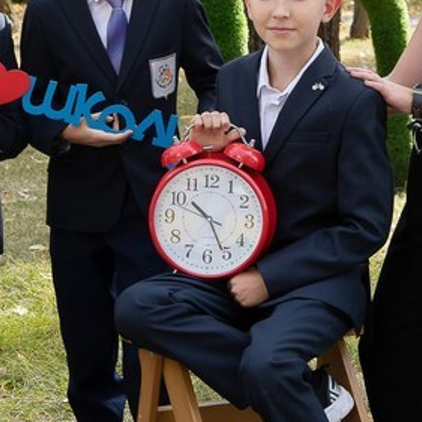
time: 10:25
